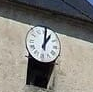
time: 1:01
